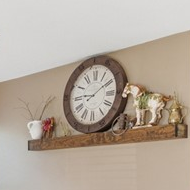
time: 9:09
